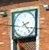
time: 2:23
